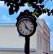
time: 11:22
